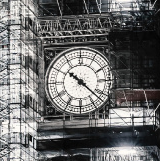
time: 10:22
